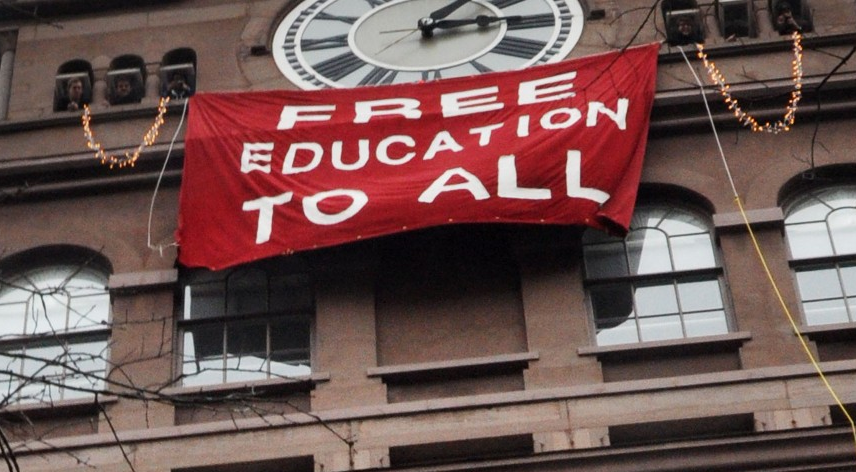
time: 1:14
